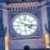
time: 4:16
